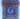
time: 12:07
